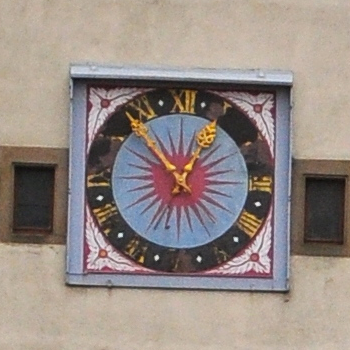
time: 12:53
